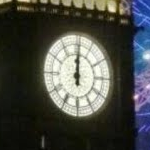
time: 12:00
